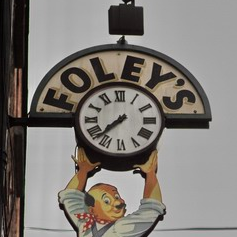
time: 7:37
